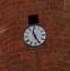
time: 11:25
